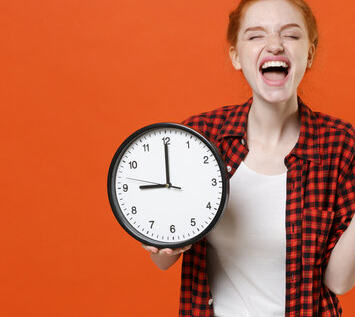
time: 8:59
